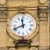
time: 11:41
